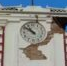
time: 10:51
